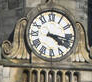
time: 4:16
